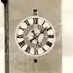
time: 11:08
